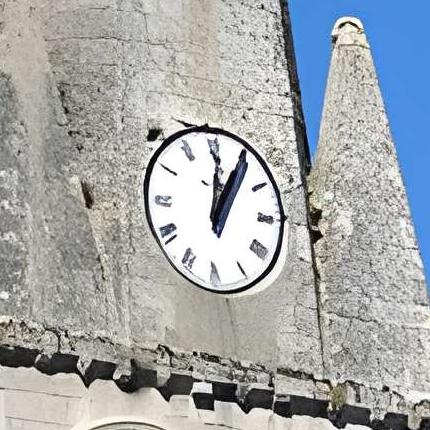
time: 1:01
